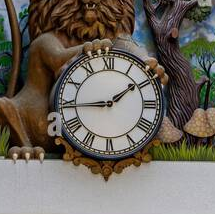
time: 1:44
